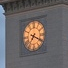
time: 7:19
